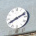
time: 8:11
